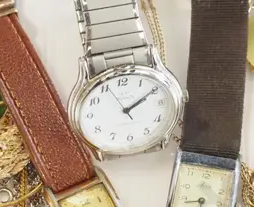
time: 2:09
